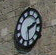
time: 2:29
